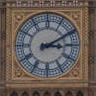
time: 3:10
